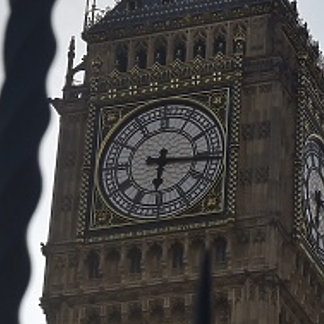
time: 6:15
